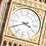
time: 3:40
